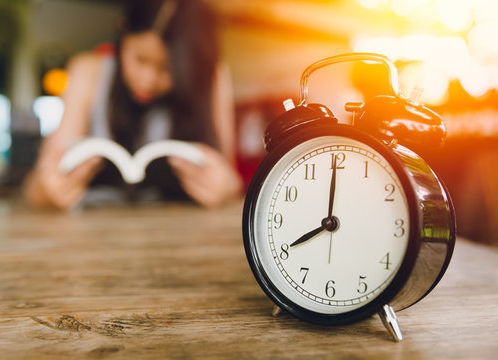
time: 8:00
